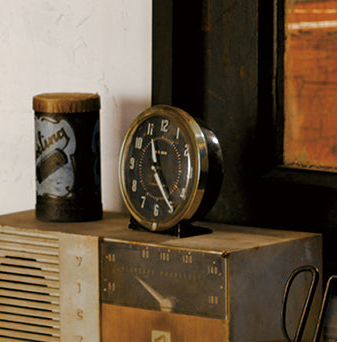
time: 11:24
